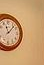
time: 11:07
